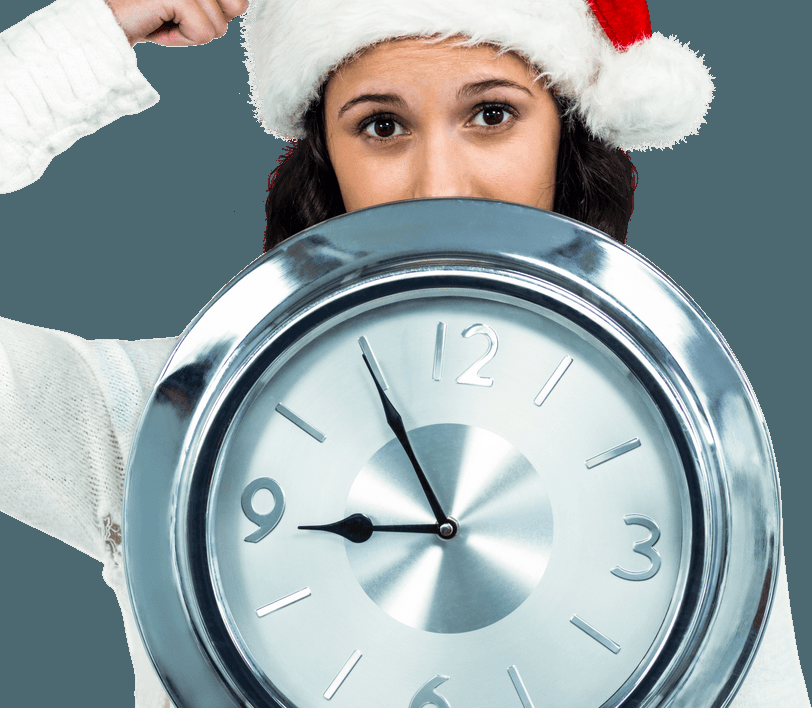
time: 8:54
